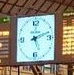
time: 5:11
